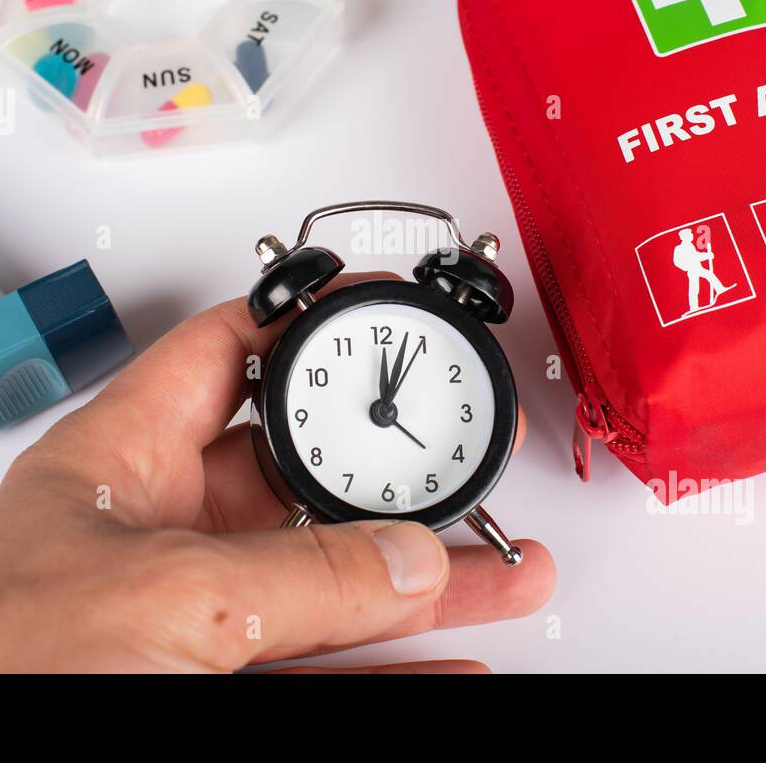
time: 12:03
